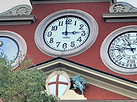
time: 2:59
